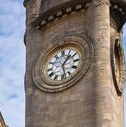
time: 1:28
